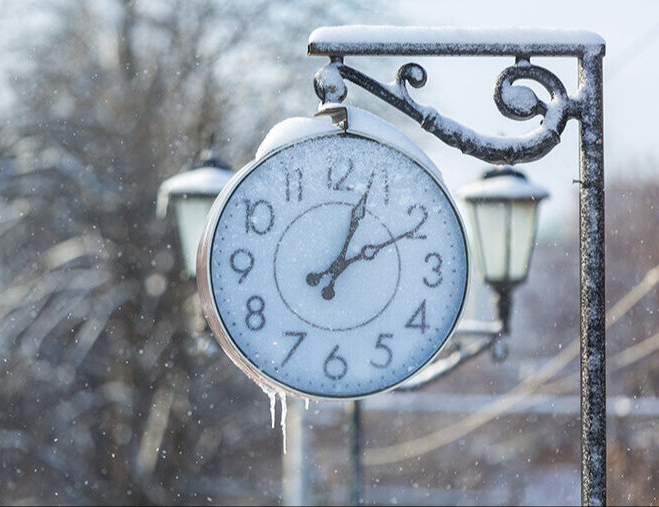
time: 2:03
